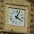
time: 4:03
